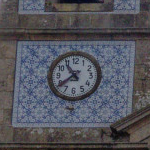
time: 10:38
